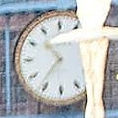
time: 10:36
